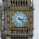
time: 3:22
